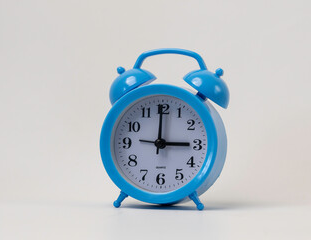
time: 3:00
